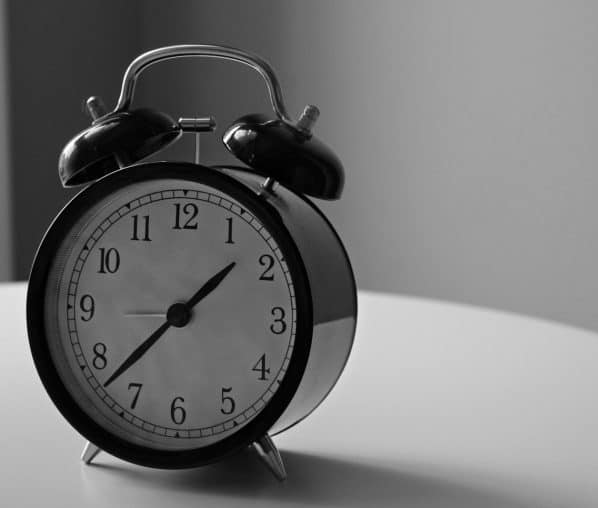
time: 1:37
